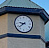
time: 9:38
